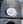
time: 4:42
